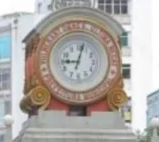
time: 9:02
